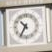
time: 10:35
